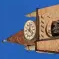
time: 12:22
